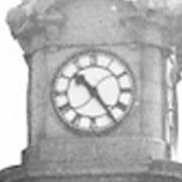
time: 10:24
